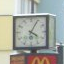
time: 4:04
